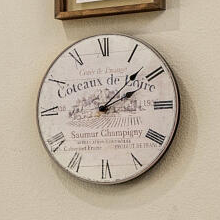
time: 2:07
